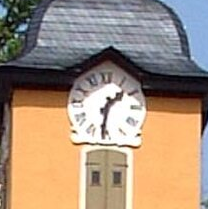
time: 1:31
